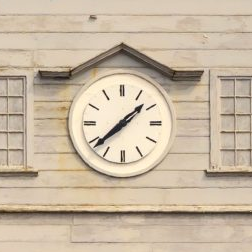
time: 1:38
